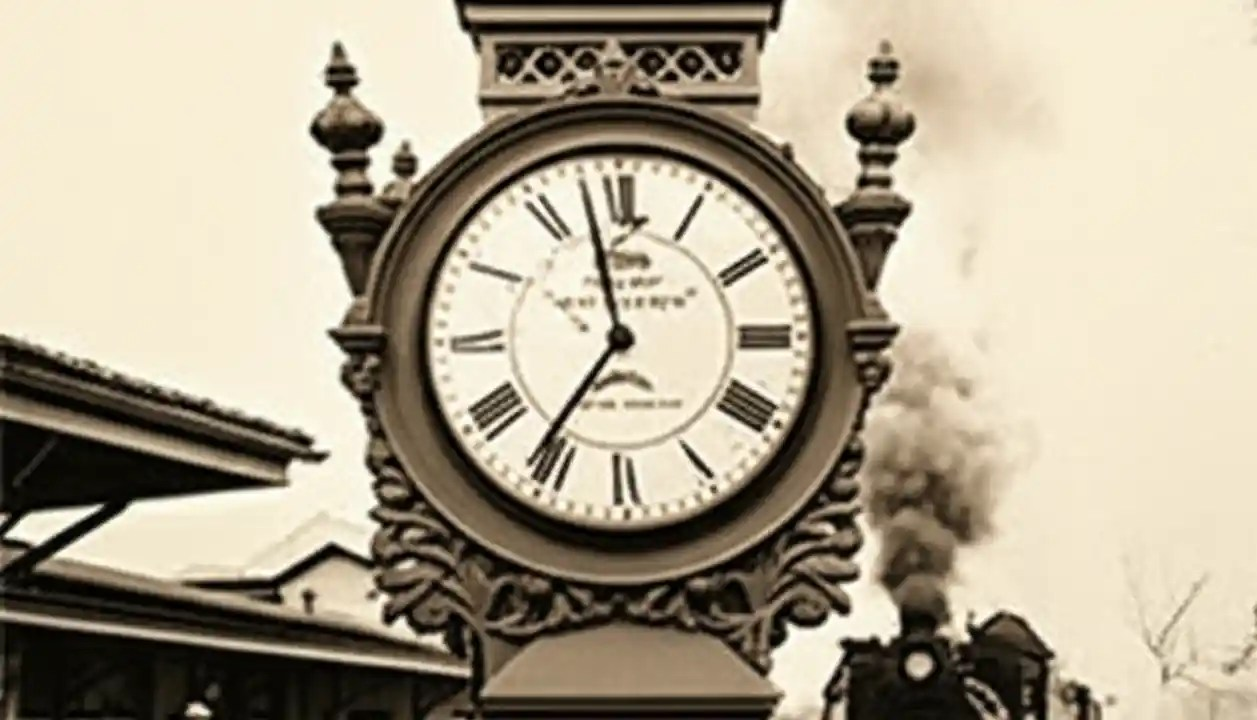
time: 11:35
